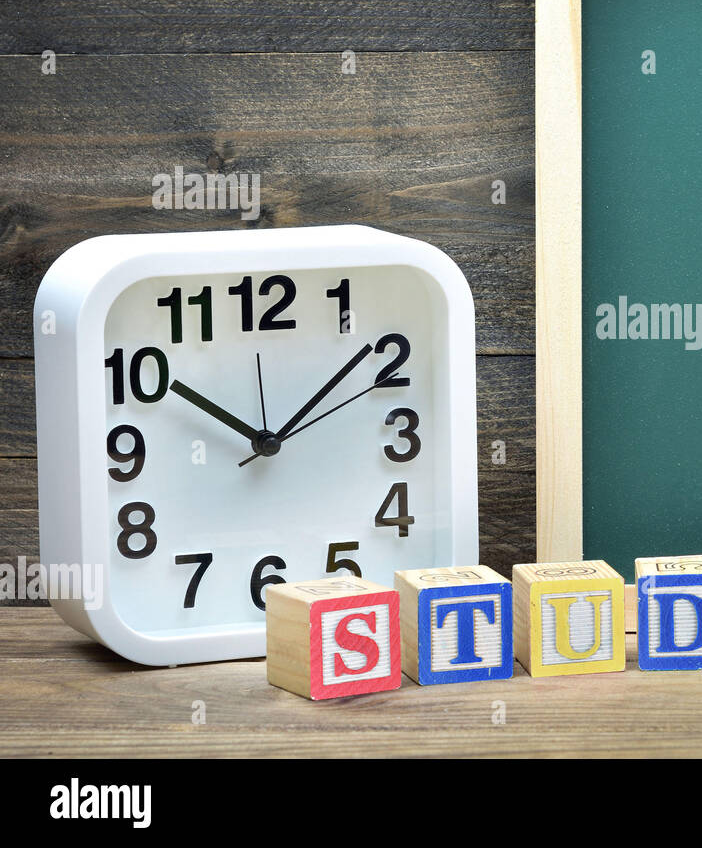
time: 10:08
